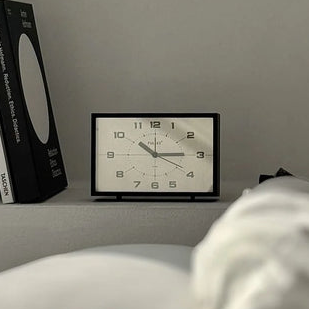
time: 10:14
